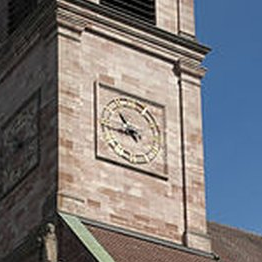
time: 10:45
